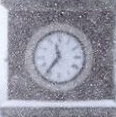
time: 11:35
